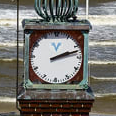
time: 2:12
